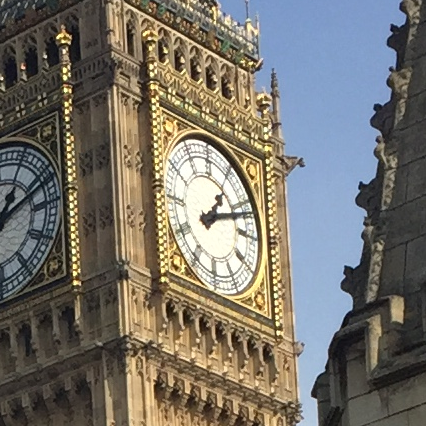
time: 1:11
